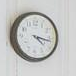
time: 4:17
